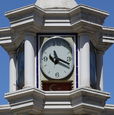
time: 11:18
